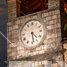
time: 4:28
